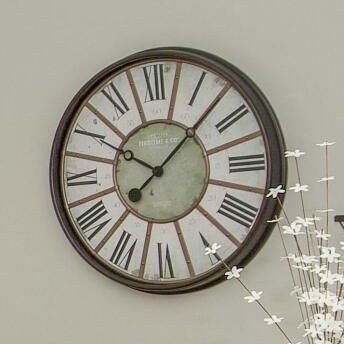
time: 10:07
